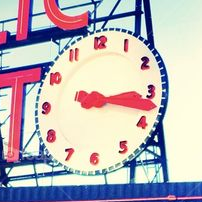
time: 3:17
